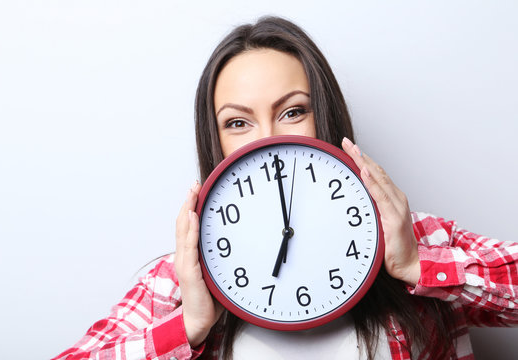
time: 7:00
